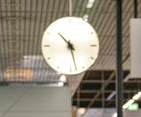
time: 10:27
